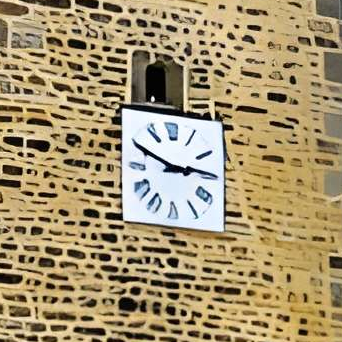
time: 2:49
